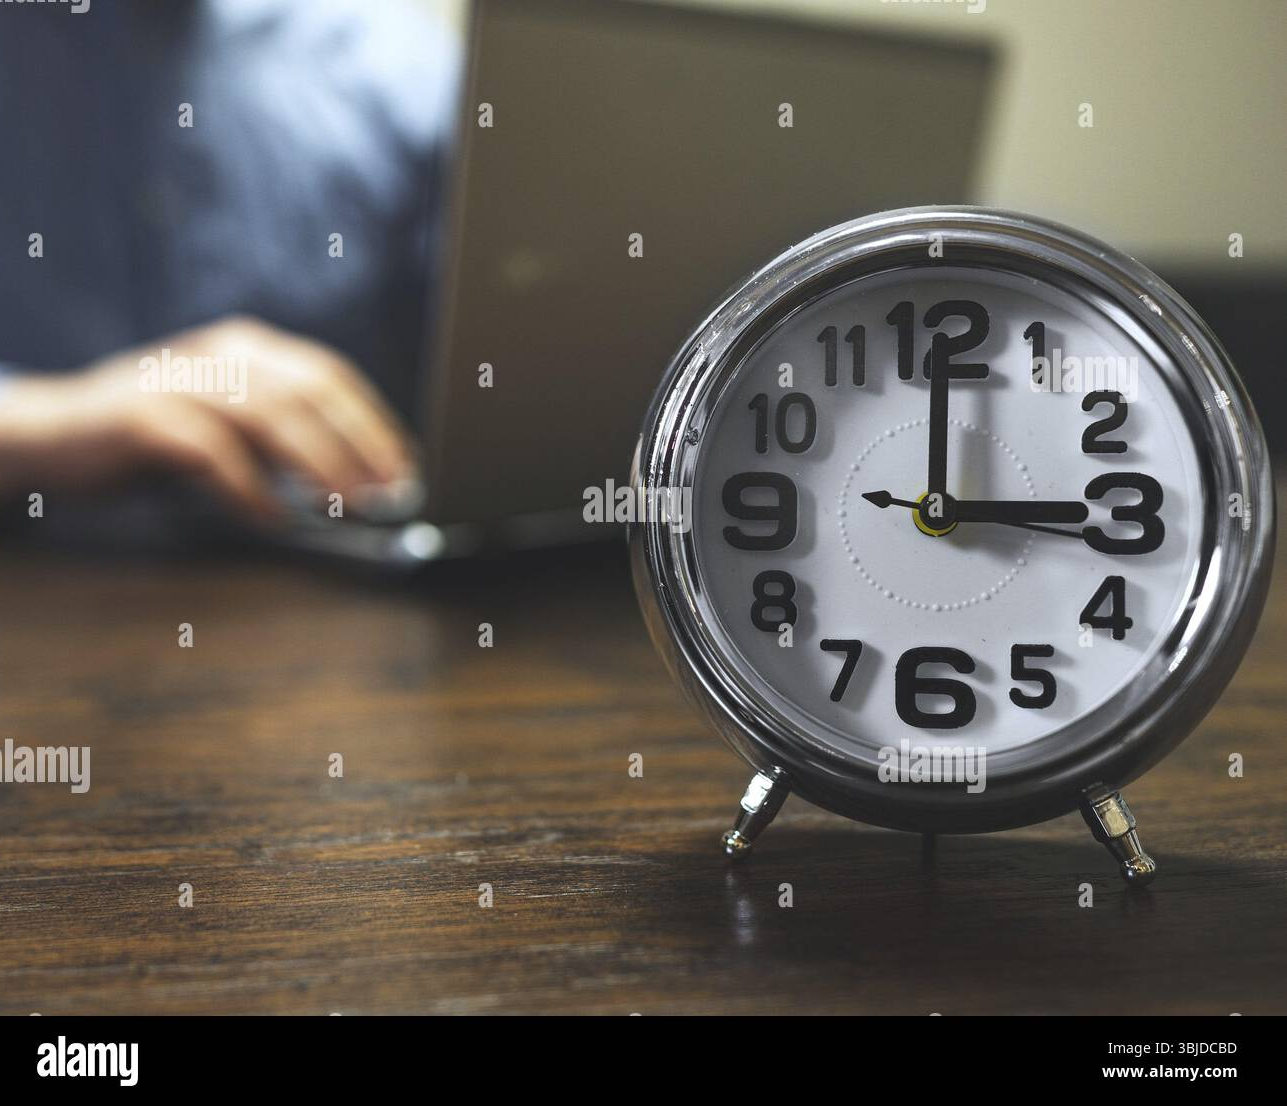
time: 3:00
